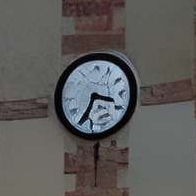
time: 3:34
